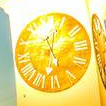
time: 5:32
